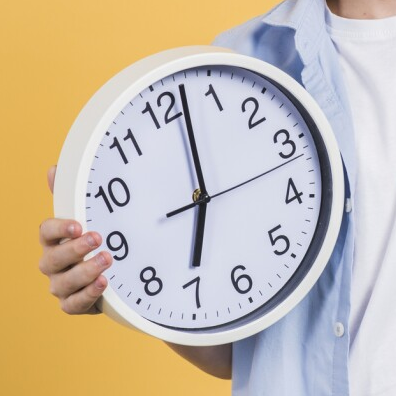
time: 7:02
